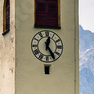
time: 12:24
